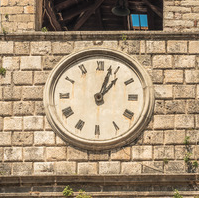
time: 1:02
